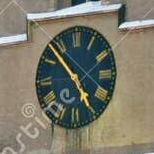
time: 4:52
